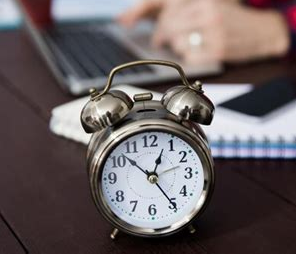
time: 12:52
